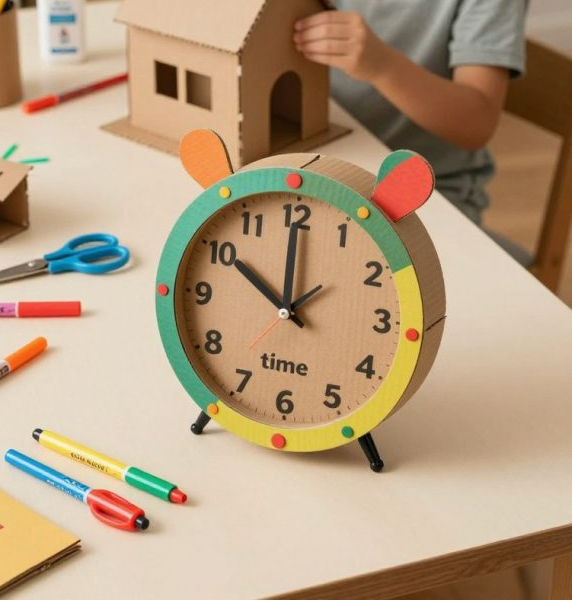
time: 10:00
